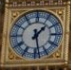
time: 1:28
